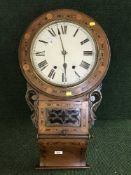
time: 5:57
